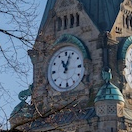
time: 11:03
